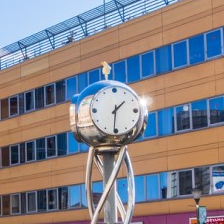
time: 1:31
